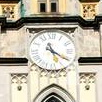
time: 5:20
